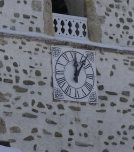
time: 12:06
